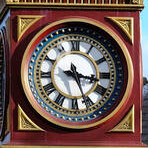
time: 3:26
